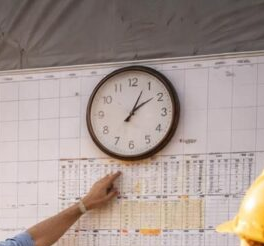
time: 1:09
